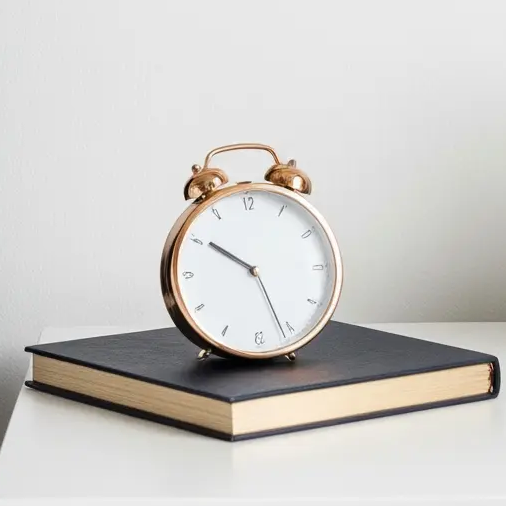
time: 9:50
